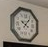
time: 10:07
